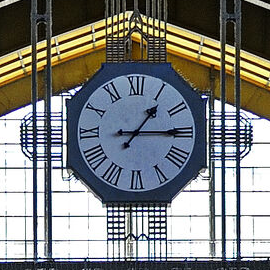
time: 1:14
